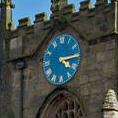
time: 4:14
